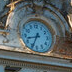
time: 8:34
